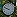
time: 9:50
